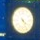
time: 4:26
